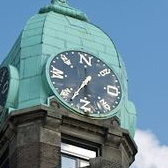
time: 1:37
